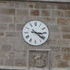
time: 3:21
